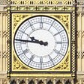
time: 9:45
